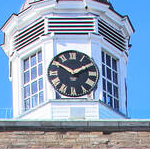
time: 1:50
